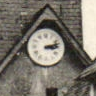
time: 3:12
